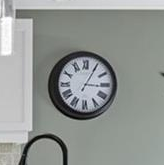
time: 3:05
